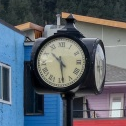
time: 10:28
